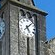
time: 5:07
